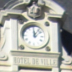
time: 12:07
